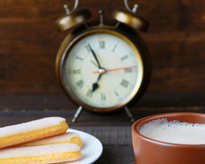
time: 6:55
